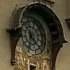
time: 6:23
